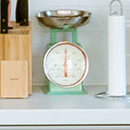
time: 6:00
